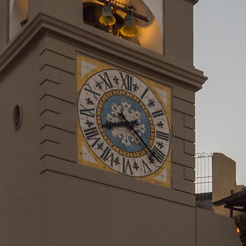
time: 8:21
